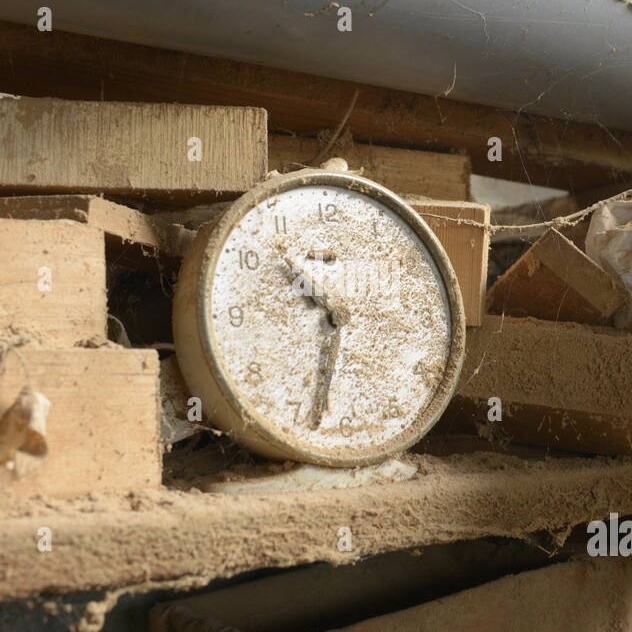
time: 10:32
